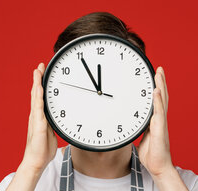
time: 11:54
